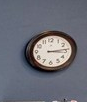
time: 3:13
